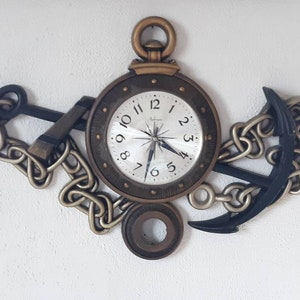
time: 6:20
